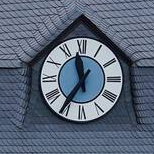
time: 11:35
